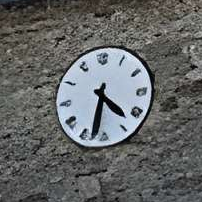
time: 4:32
